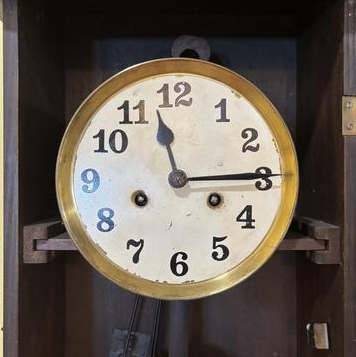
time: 11:14
